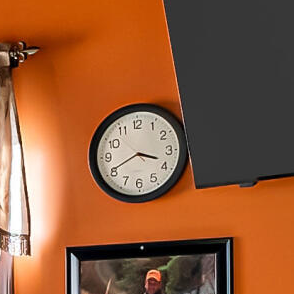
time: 3:40
